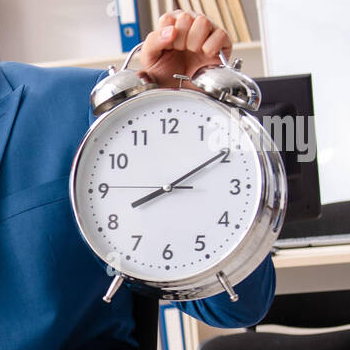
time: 8:09
